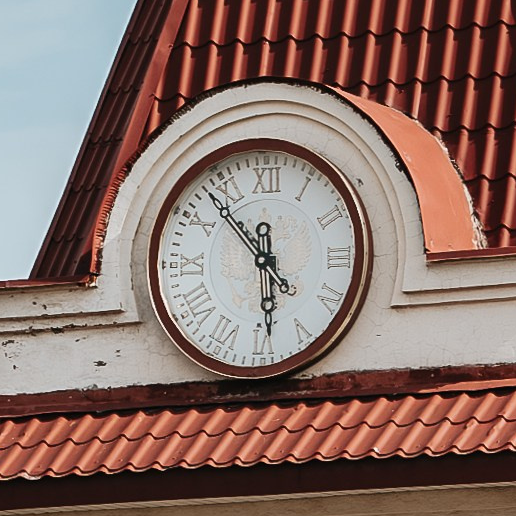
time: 5:53
